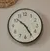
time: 10:24
